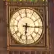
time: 6:15
